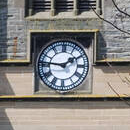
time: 1:46
